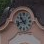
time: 10:42
